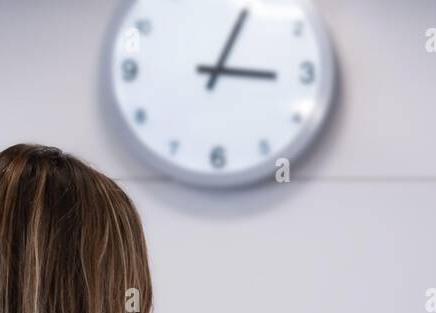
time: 3:04
